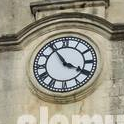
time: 3:54
